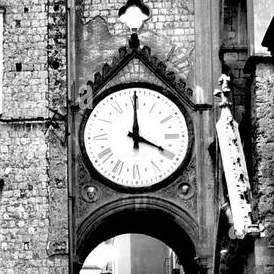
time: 4:00
